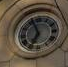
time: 6:56
